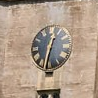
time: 12:31
